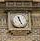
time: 11:25
